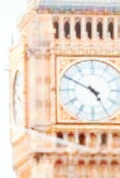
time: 4:49
